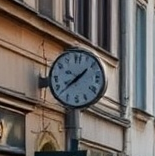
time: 1:38
